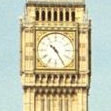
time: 10:24
